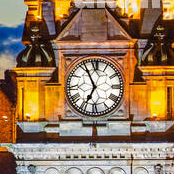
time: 6:55
